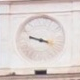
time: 9:17
